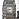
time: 2:38
